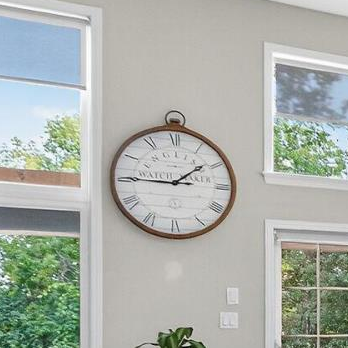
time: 1:45
